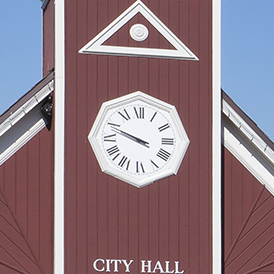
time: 9:48
